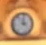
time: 4:02
